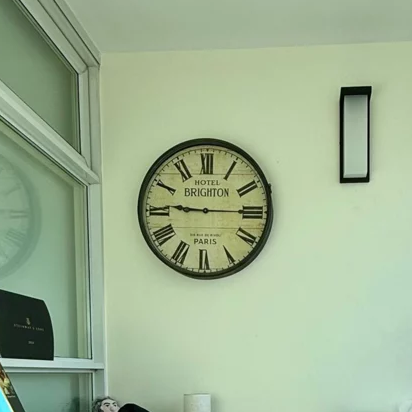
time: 9:14
